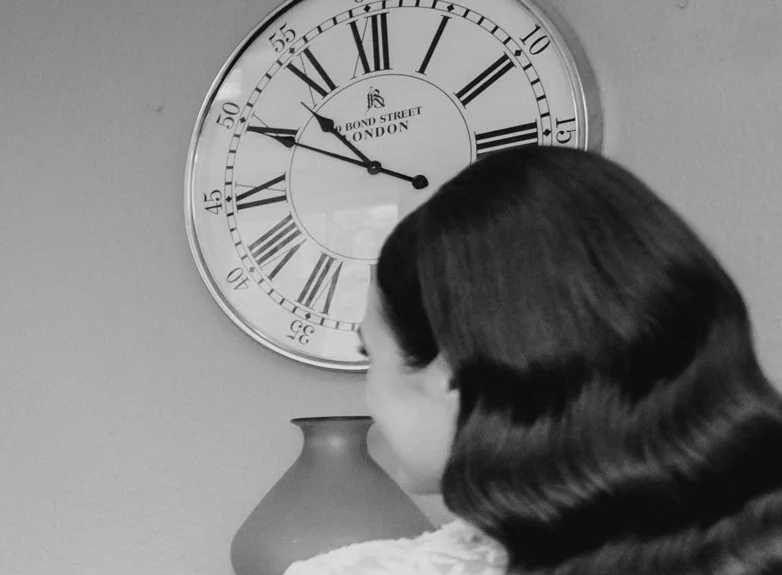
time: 10:49
